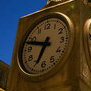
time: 6:47
